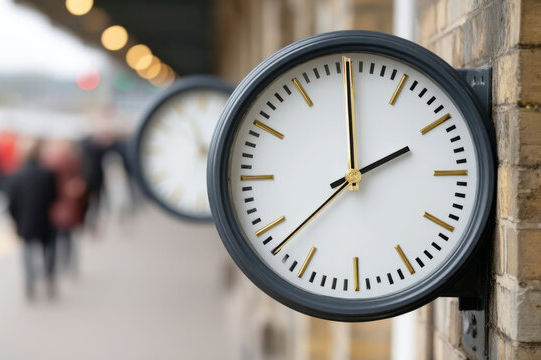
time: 1:59
